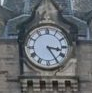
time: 3:24
